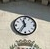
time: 11:35
